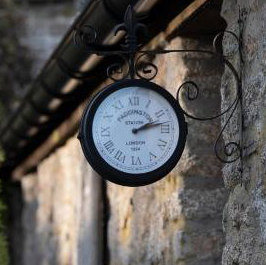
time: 2:13
